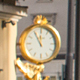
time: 11:55
